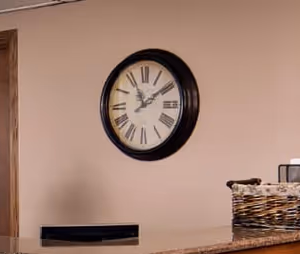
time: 11:09
